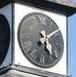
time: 5:08
